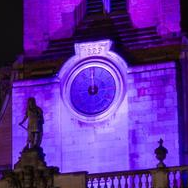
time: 8:59
